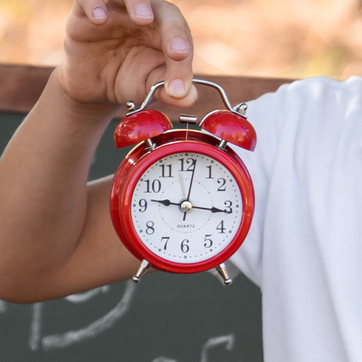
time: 9:16
